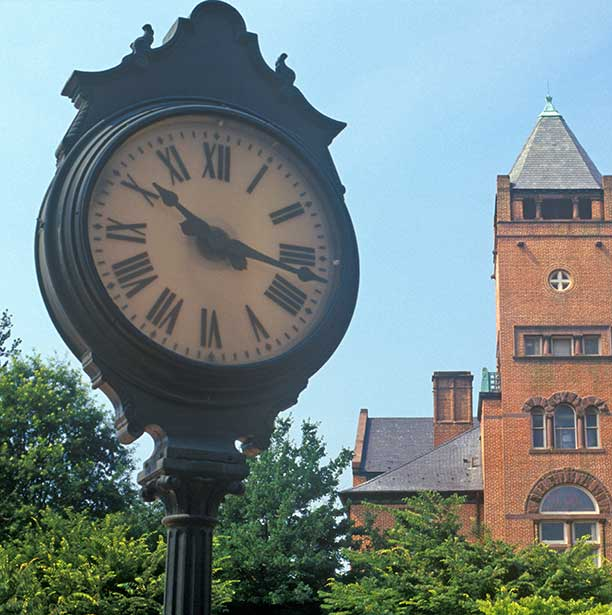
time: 10:17
